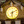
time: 6:10
